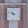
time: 10:48
